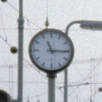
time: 11:15
